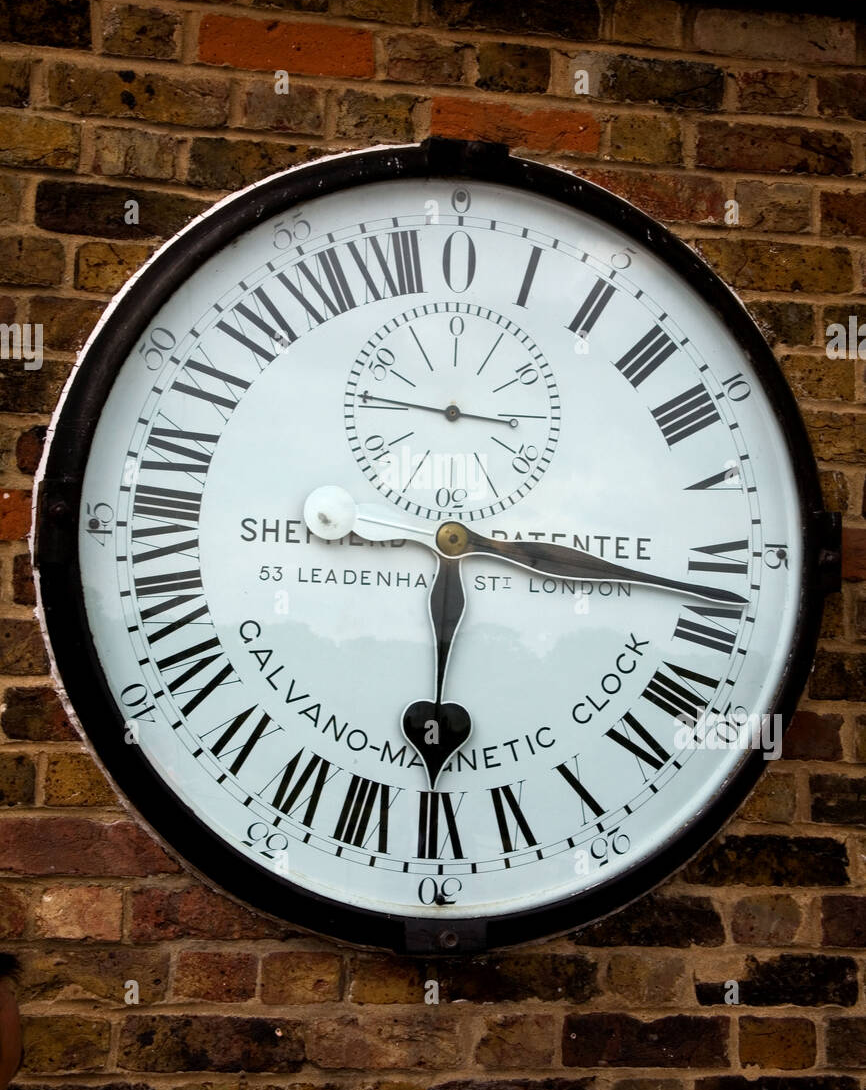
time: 6:16
